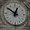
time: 12:51
